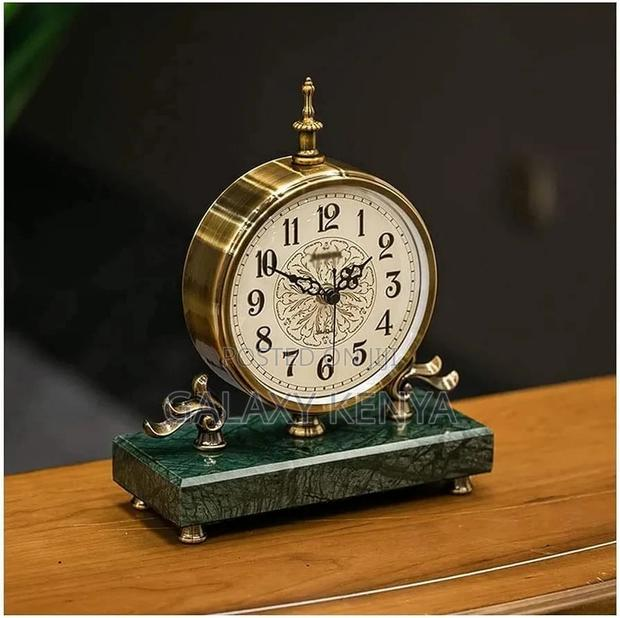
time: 1:49
